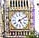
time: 5:09
